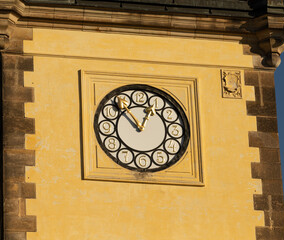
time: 12:53
